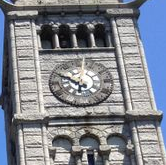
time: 5:49
